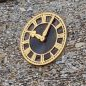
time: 10:04
